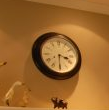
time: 3:29
